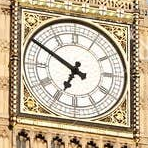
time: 6:50
